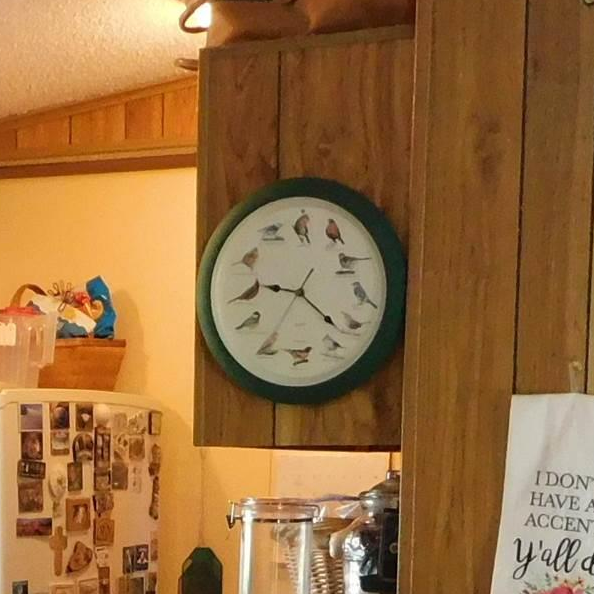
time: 9:22
